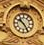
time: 10:24
